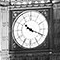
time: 10:18
